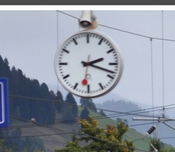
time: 2:18
